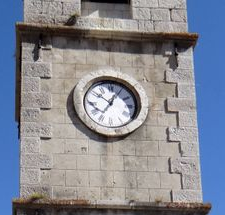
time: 12:51
